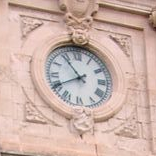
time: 10:40
